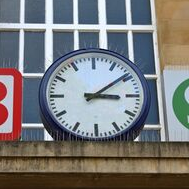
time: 3:09
